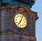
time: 7:04
